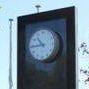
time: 10:44
